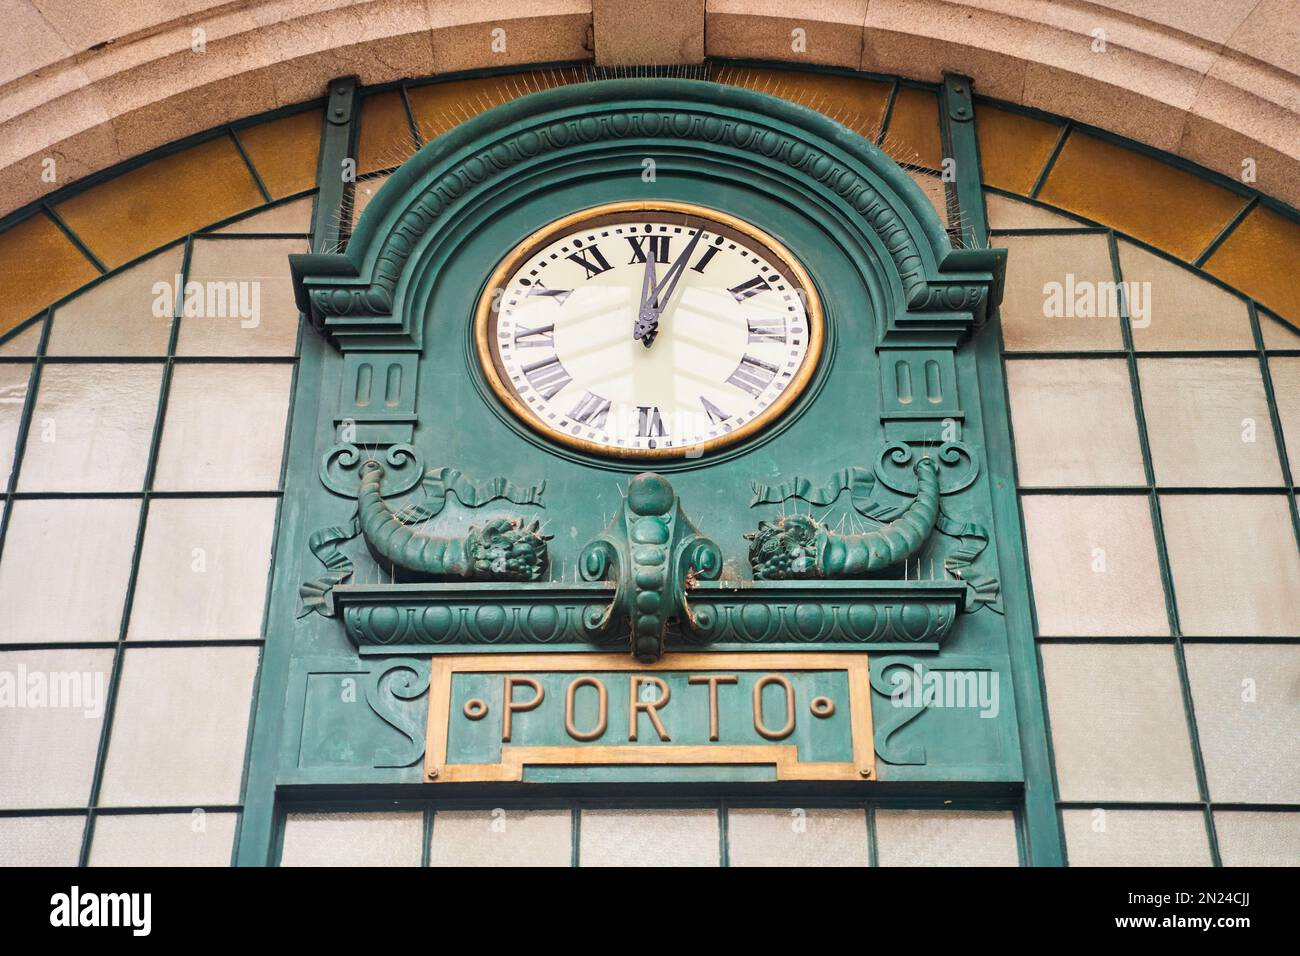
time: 12:02
